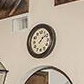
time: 1:08
